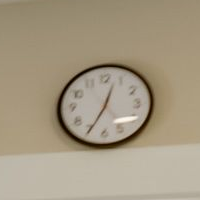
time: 12:34
